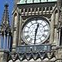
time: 12:30
